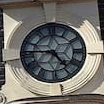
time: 4:45
